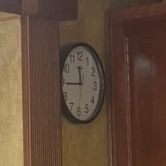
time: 11:44
